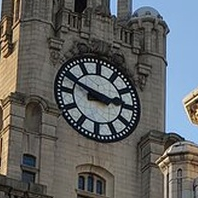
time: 2:48
